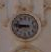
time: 8:46
